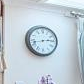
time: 2:42
